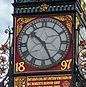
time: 10:25
